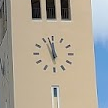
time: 11:57
